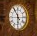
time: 5:55
